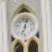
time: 12:32
